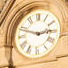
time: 2:48
